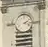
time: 2:18
